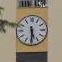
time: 5:30
